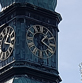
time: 1:20
